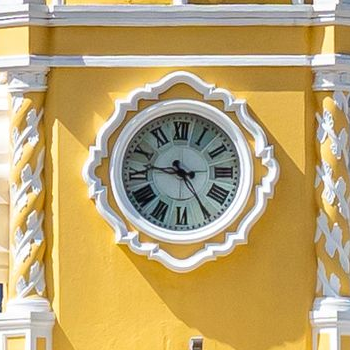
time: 4:46
